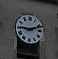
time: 9:11
